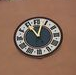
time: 11:03
